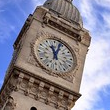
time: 11:03
